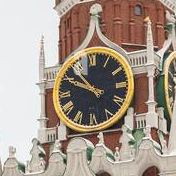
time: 10:49
